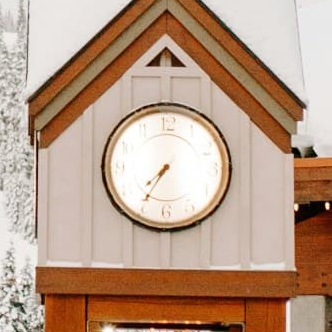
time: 7:35
